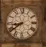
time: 8:39
